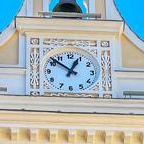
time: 12:51
